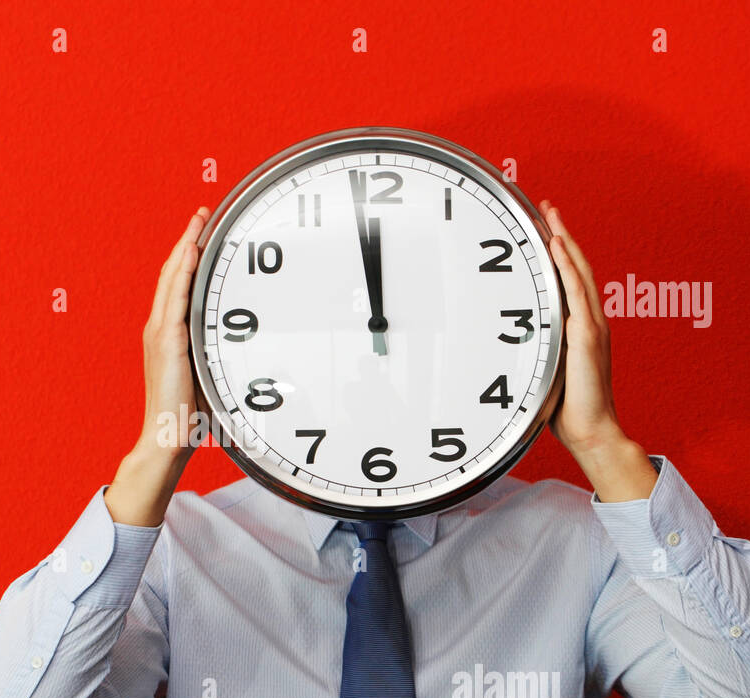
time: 11:58
